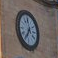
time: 11:35
